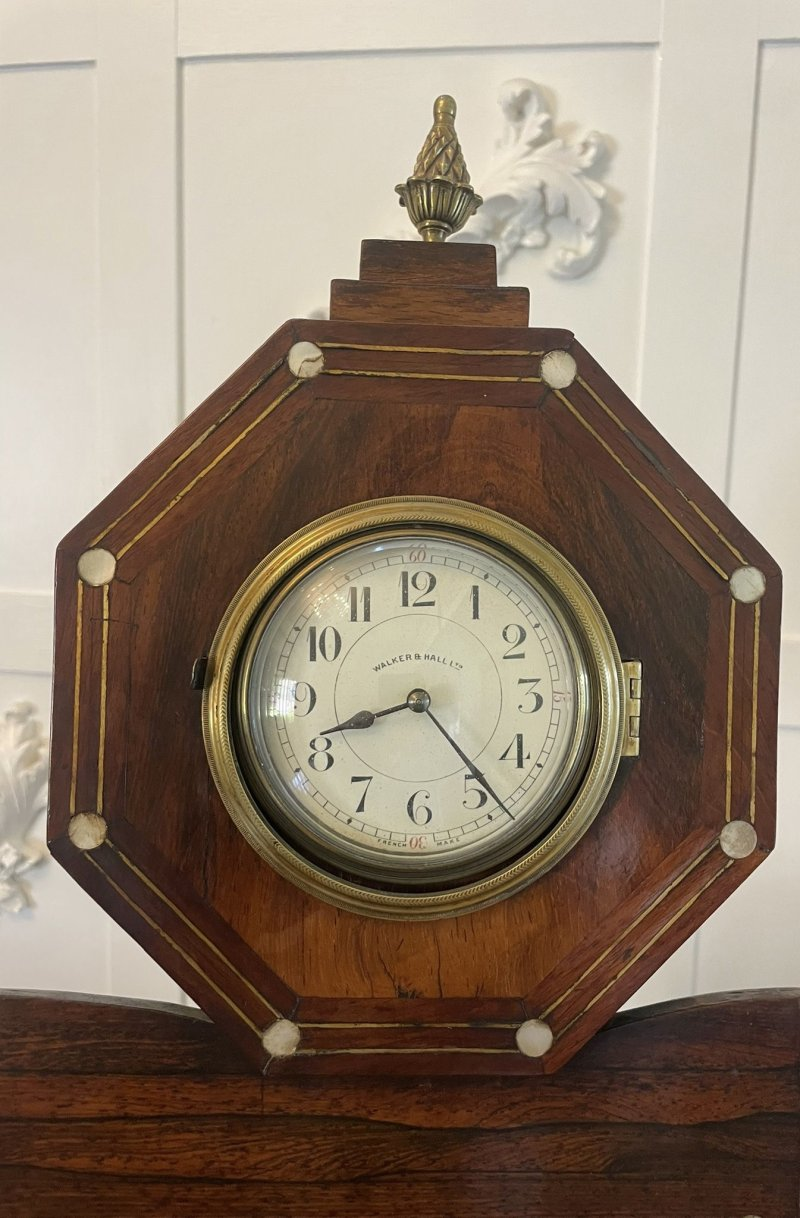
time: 8:23
